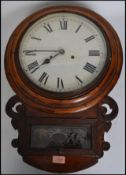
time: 7:44
